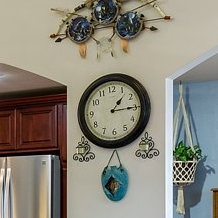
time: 1:14
